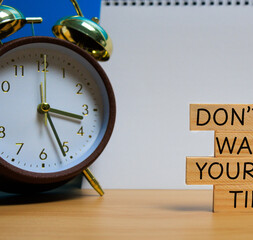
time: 3:26
